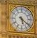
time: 5:21
